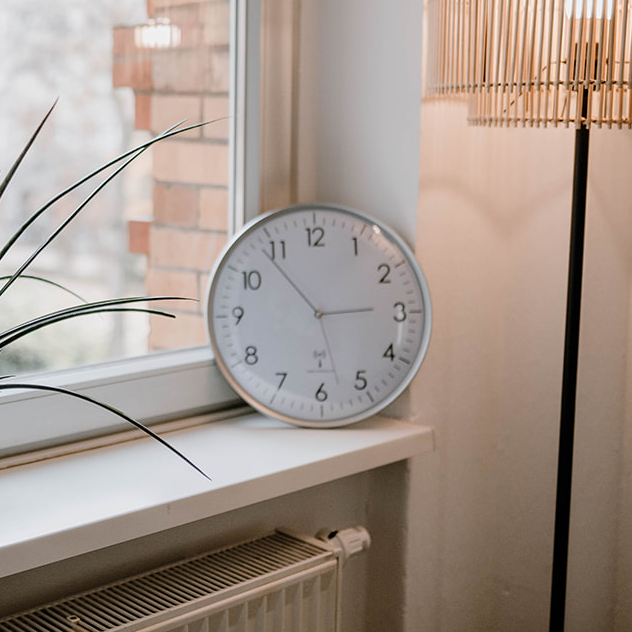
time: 2:53
